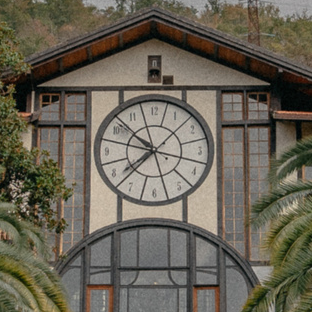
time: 7:51
